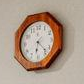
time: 6:22
